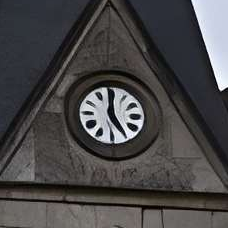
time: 4:59
